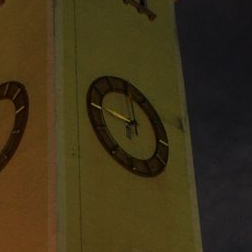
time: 9:01
